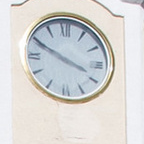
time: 3:49
